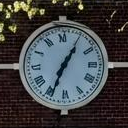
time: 1:34
